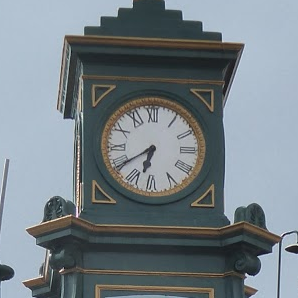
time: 6:39
